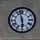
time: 5:57
